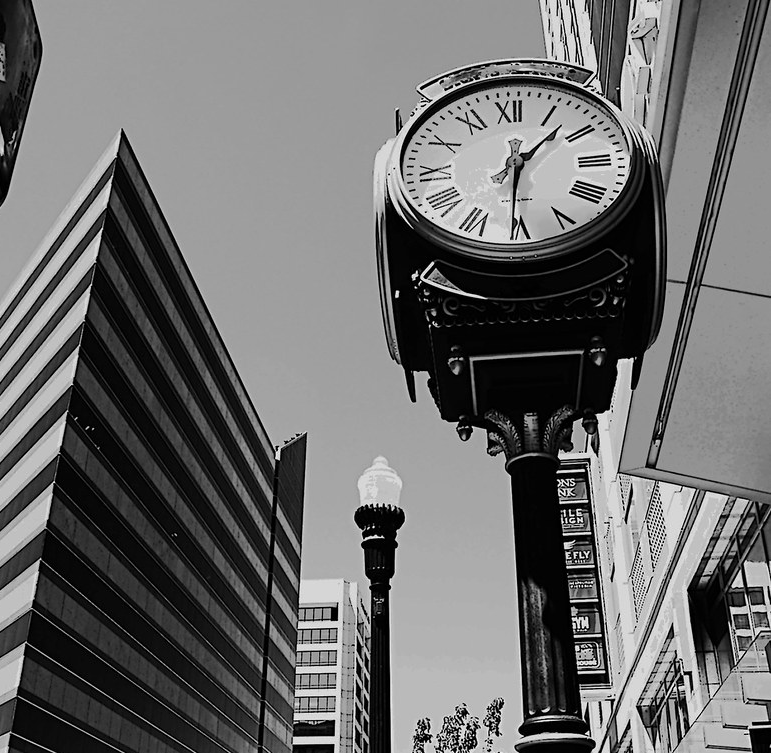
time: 1:30
